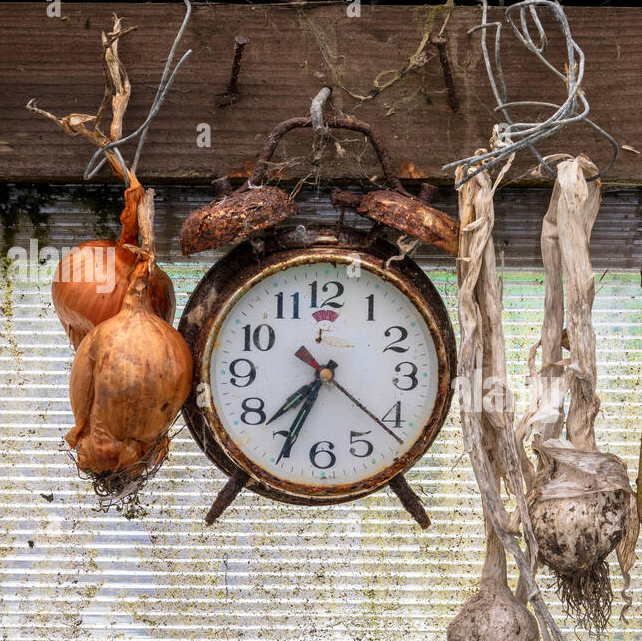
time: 7:34
